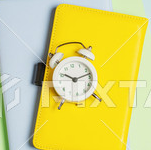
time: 10:13
